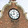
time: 11:42
